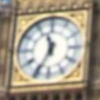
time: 11:34
